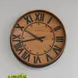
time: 9:42
